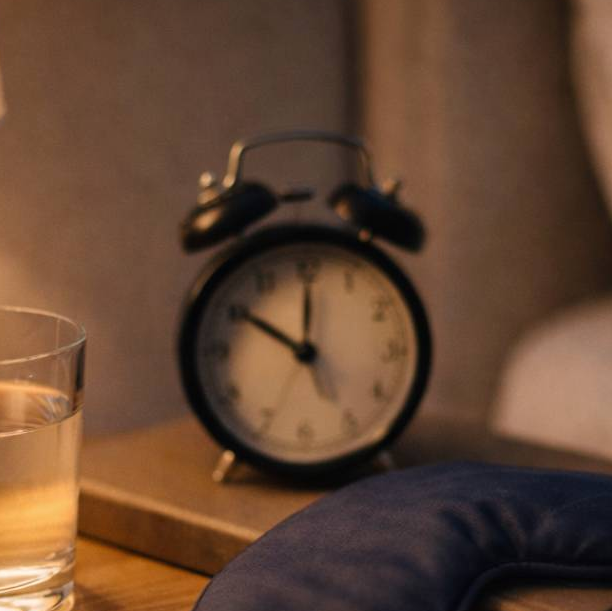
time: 11:50
